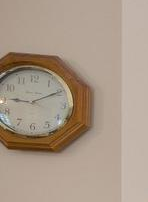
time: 9:10
